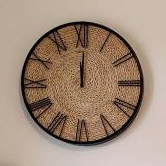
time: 12:00
